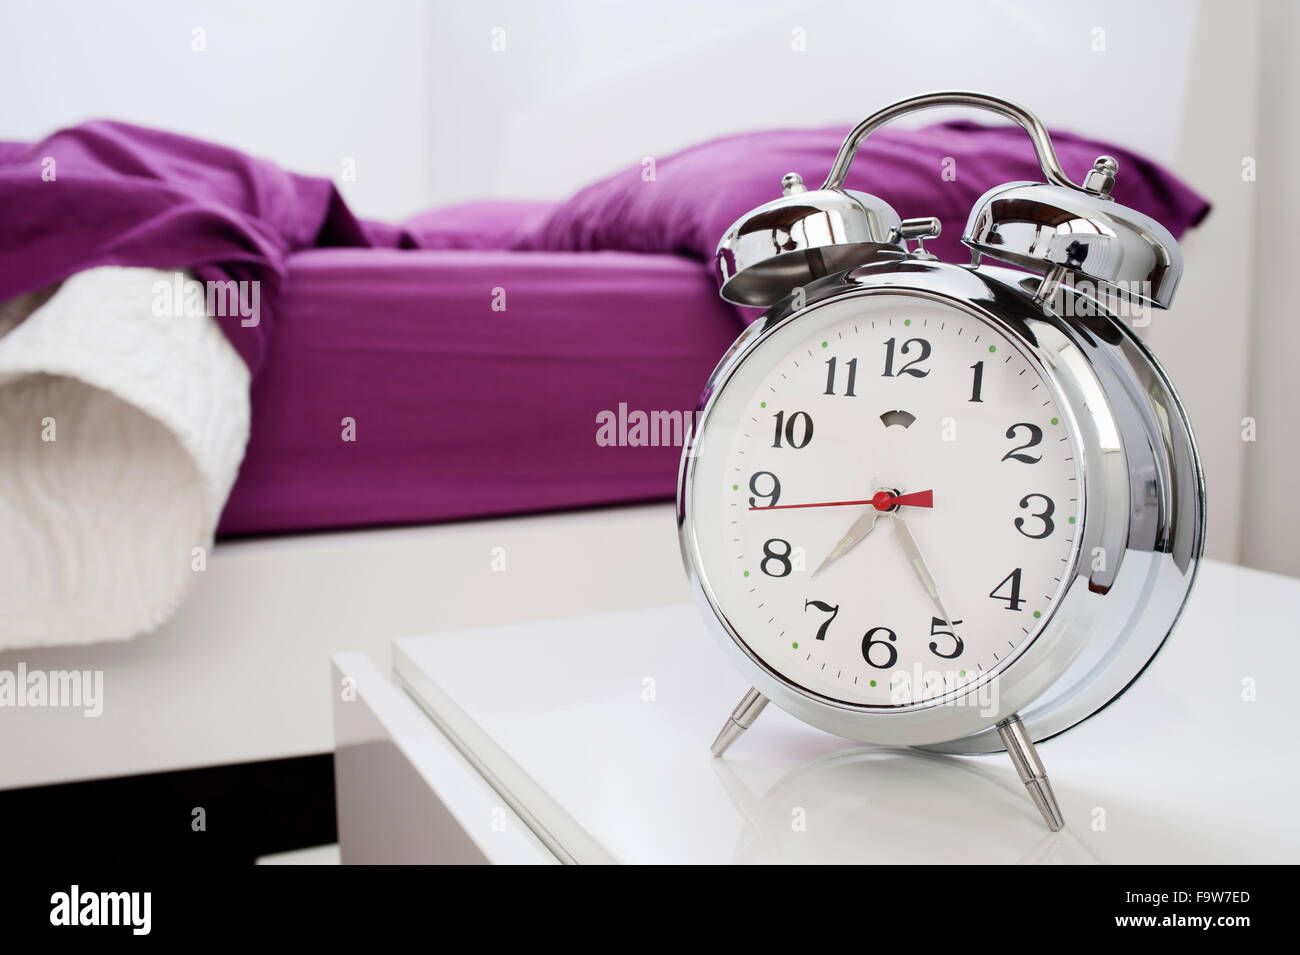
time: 7:25
